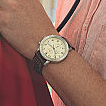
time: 10:28
